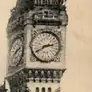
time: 2:40
